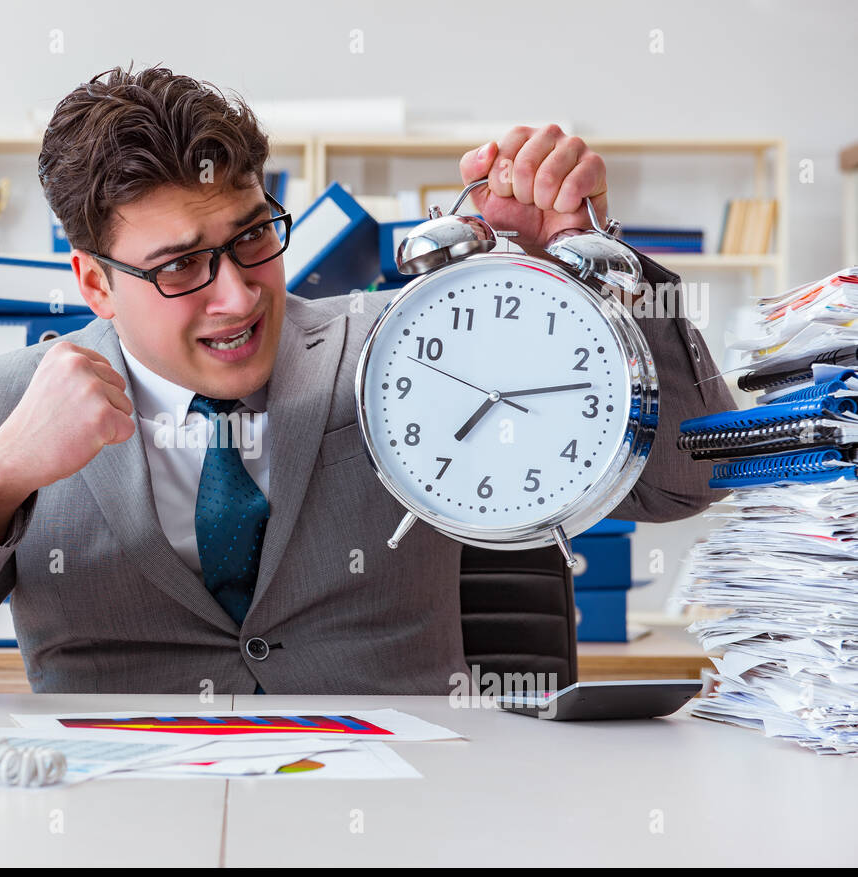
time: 7:13
